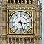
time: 3:27
